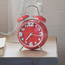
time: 7:16
